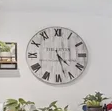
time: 4:27
